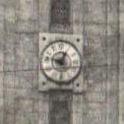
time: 12:47
